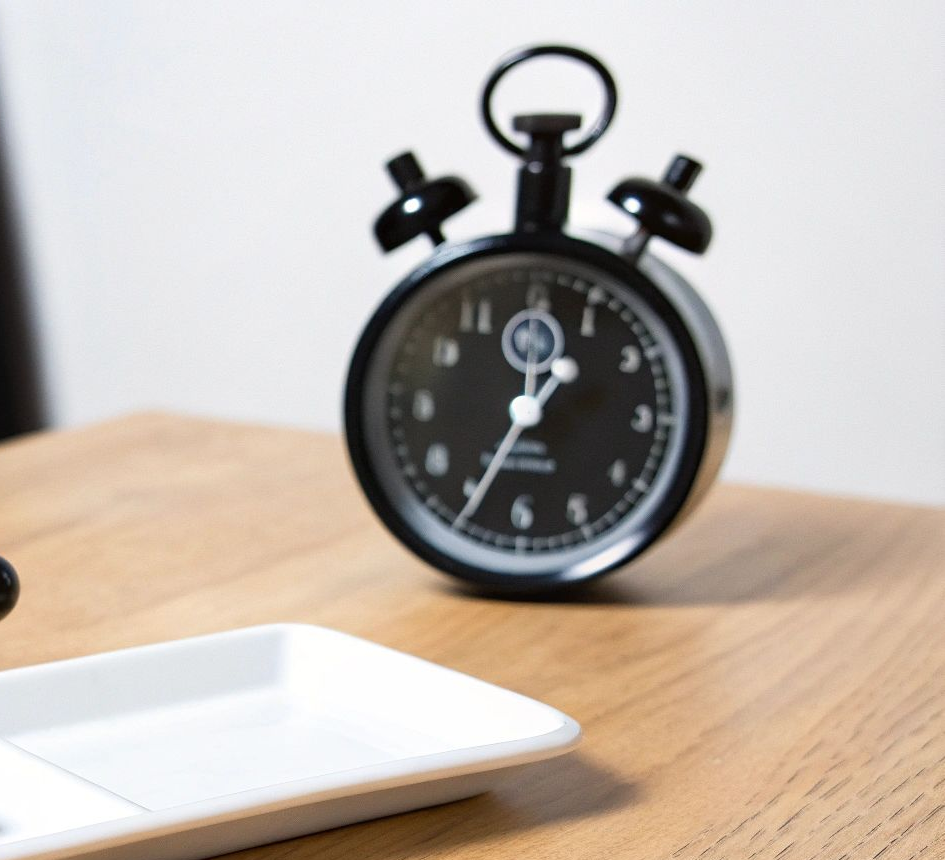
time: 12:34
